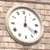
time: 12:21
